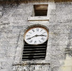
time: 2:40
